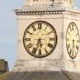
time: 5:33
